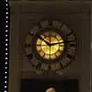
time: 10:13
